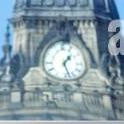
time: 1:27
